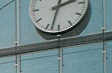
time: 2:32
